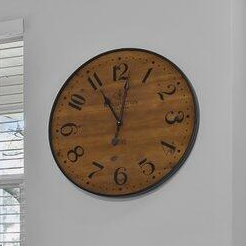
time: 11:01
